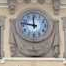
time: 11:46
